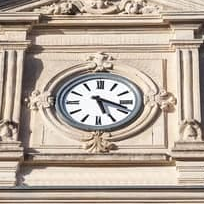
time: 5:18
